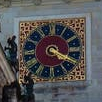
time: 4:19
